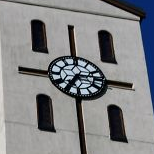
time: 7:15
